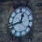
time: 12:42
